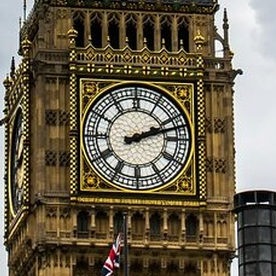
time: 2:11
